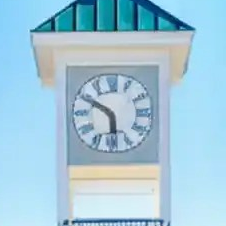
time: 5:49
